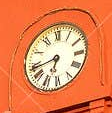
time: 6:43
